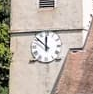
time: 11:51
